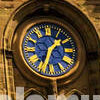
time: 1:33
